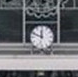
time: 11:48
